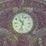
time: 10:32
